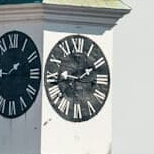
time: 1:46
